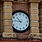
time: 10:45
